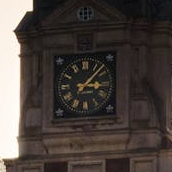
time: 3:07
